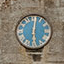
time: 6:01
